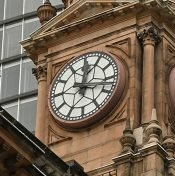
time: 12:16
